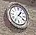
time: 1:20
